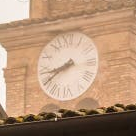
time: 8:39
